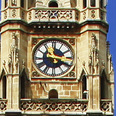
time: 11:18
